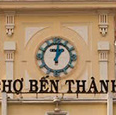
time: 1:01
